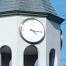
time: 4:15
